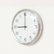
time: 8:59
